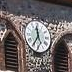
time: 11:35
